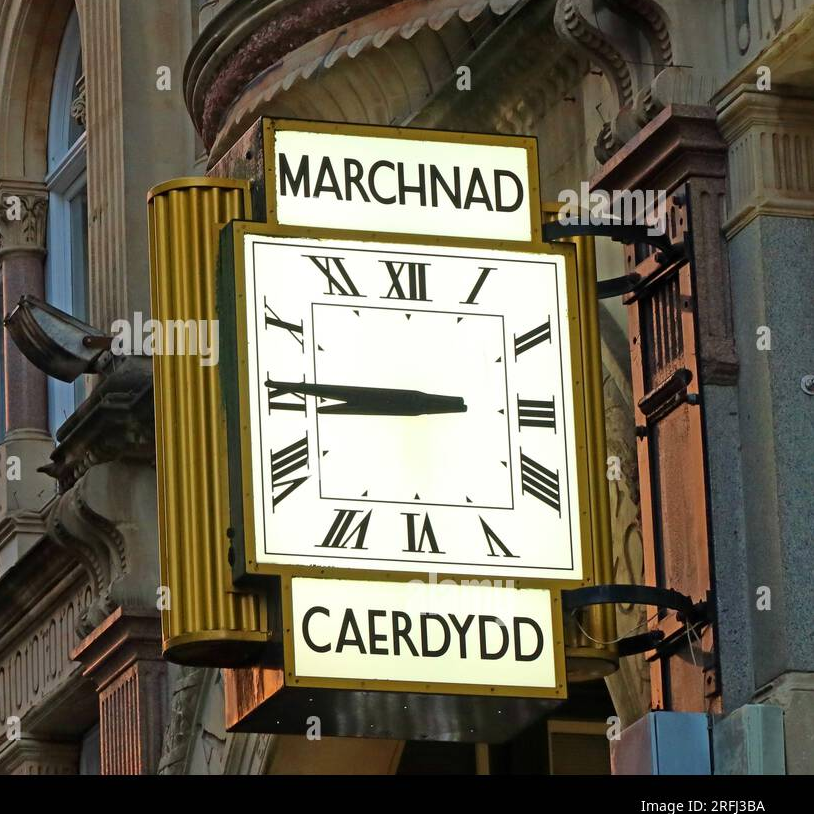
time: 8:45
